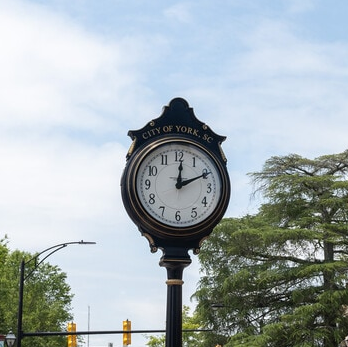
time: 12:10
